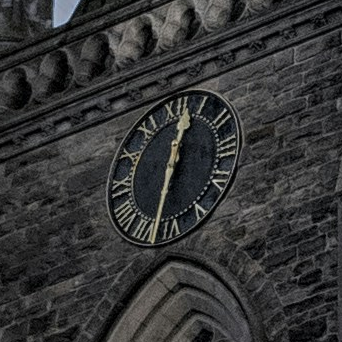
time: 12:32
